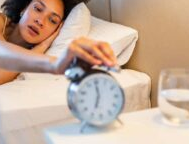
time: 7:00
